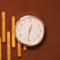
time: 12:32
